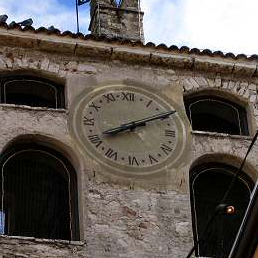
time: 8:10
